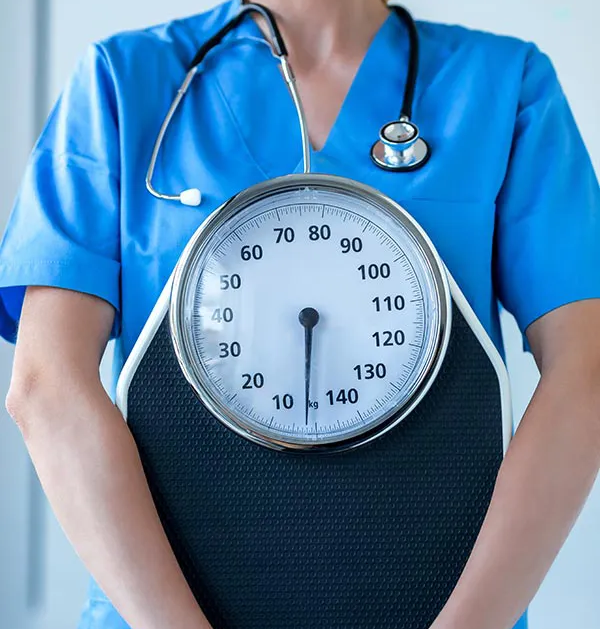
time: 5:30
